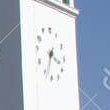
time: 3:34
